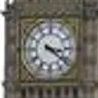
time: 3:21
